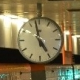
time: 4:57
